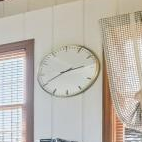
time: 2:40
